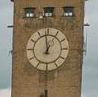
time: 6:58
